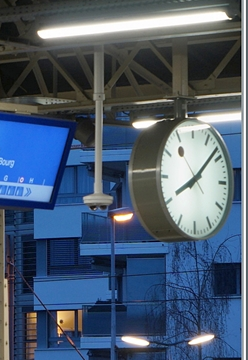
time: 8:08
